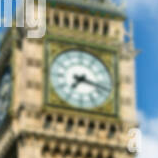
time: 7:17
